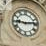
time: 9:13
